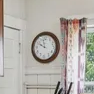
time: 9:57
